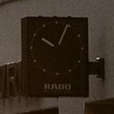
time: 10:04
